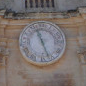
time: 11:26
